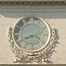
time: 8:21
